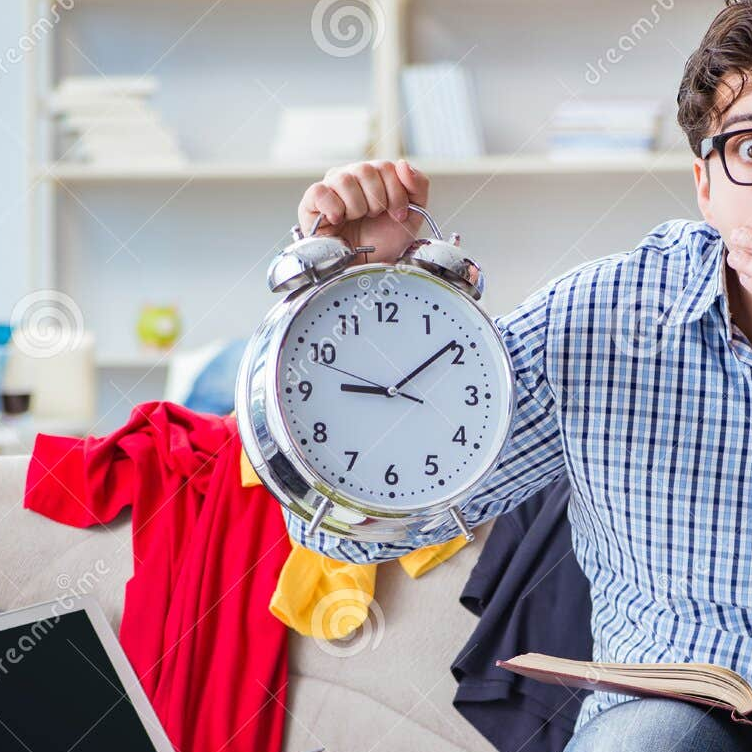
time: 9:09
